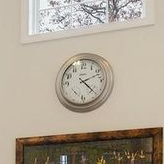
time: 2:22
